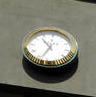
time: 10:34
